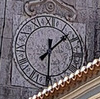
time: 1:30
